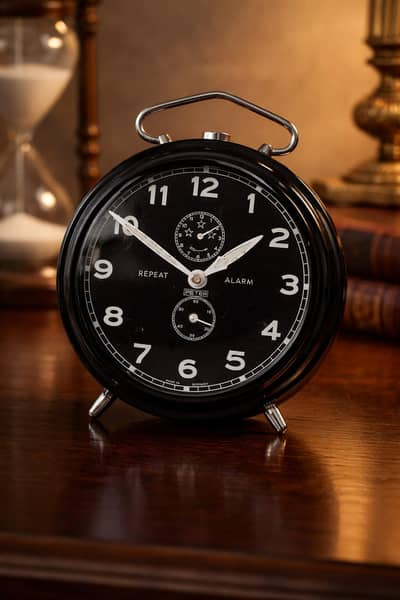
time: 1:50
